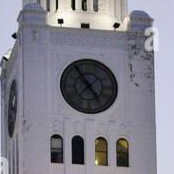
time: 4:54
